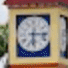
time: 6:15
